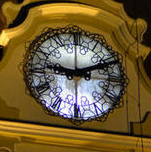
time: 9:11
